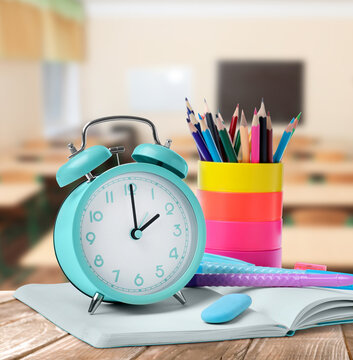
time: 2:00
